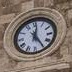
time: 12:24
